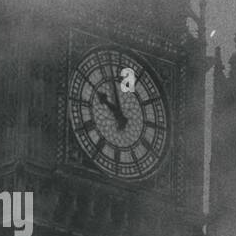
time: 9:57
